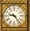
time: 9:23
